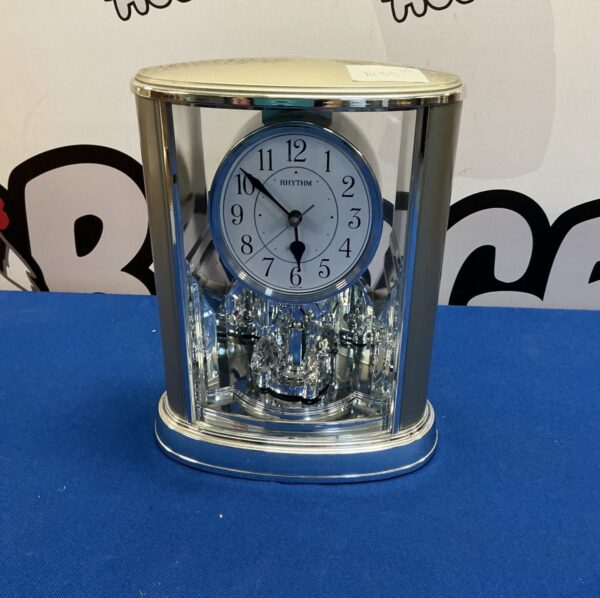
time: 5:51
